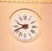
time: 9:41
